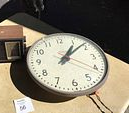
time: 1:08
